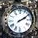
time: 2:09
